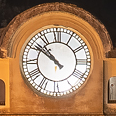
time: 10:51
